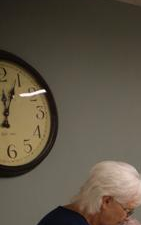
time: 12:04
